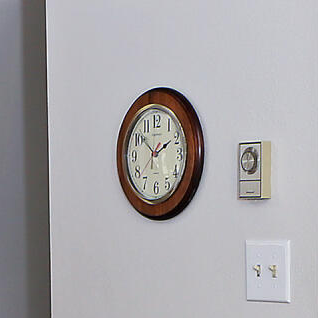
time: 1:51
